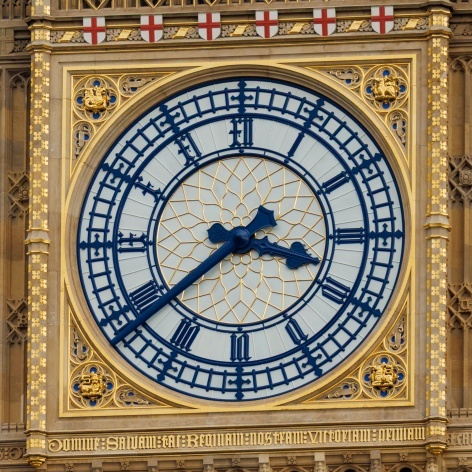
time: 3:38
